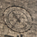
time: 10:36
